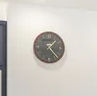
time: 1:23
